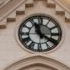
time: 11:20
